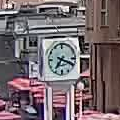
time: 7:18
